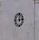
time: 12:13
